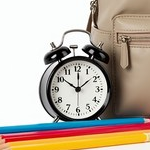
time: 10:08
